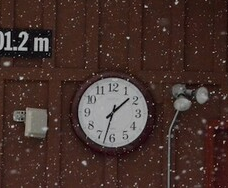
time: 1:32
